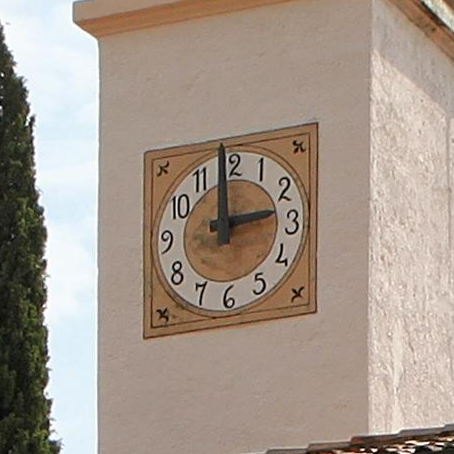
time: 2:59
